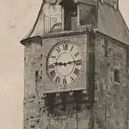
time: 9:13
